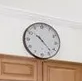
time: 10:22
